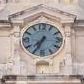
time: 7:34
